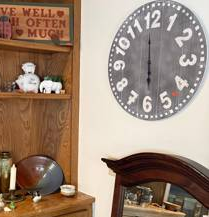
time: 5:59
